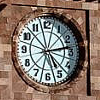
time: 5:13
